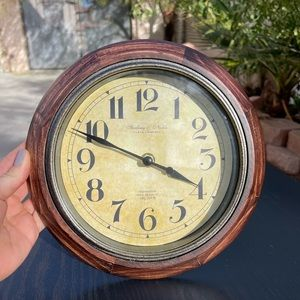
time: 3:48
